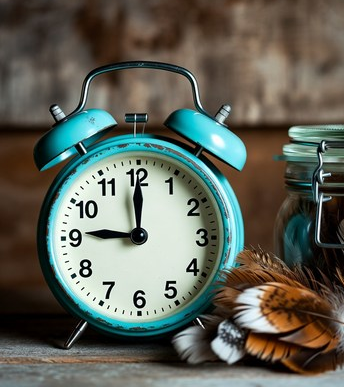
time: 9:00
